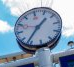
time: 1:36
